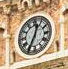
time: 12:34
